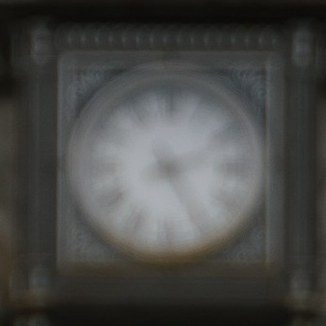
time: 5:11
